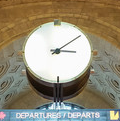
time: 3:08
